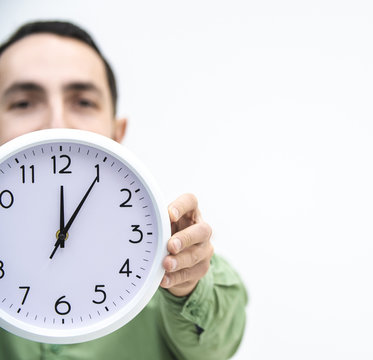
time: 12:05
